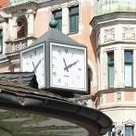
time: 11:09
